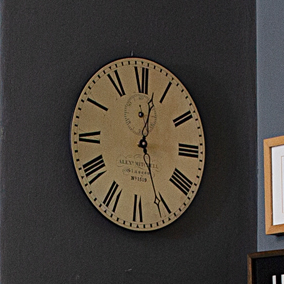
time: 12:26
